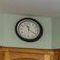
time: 11:21
